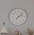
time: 2:06
